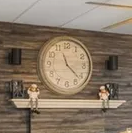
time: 11:22
